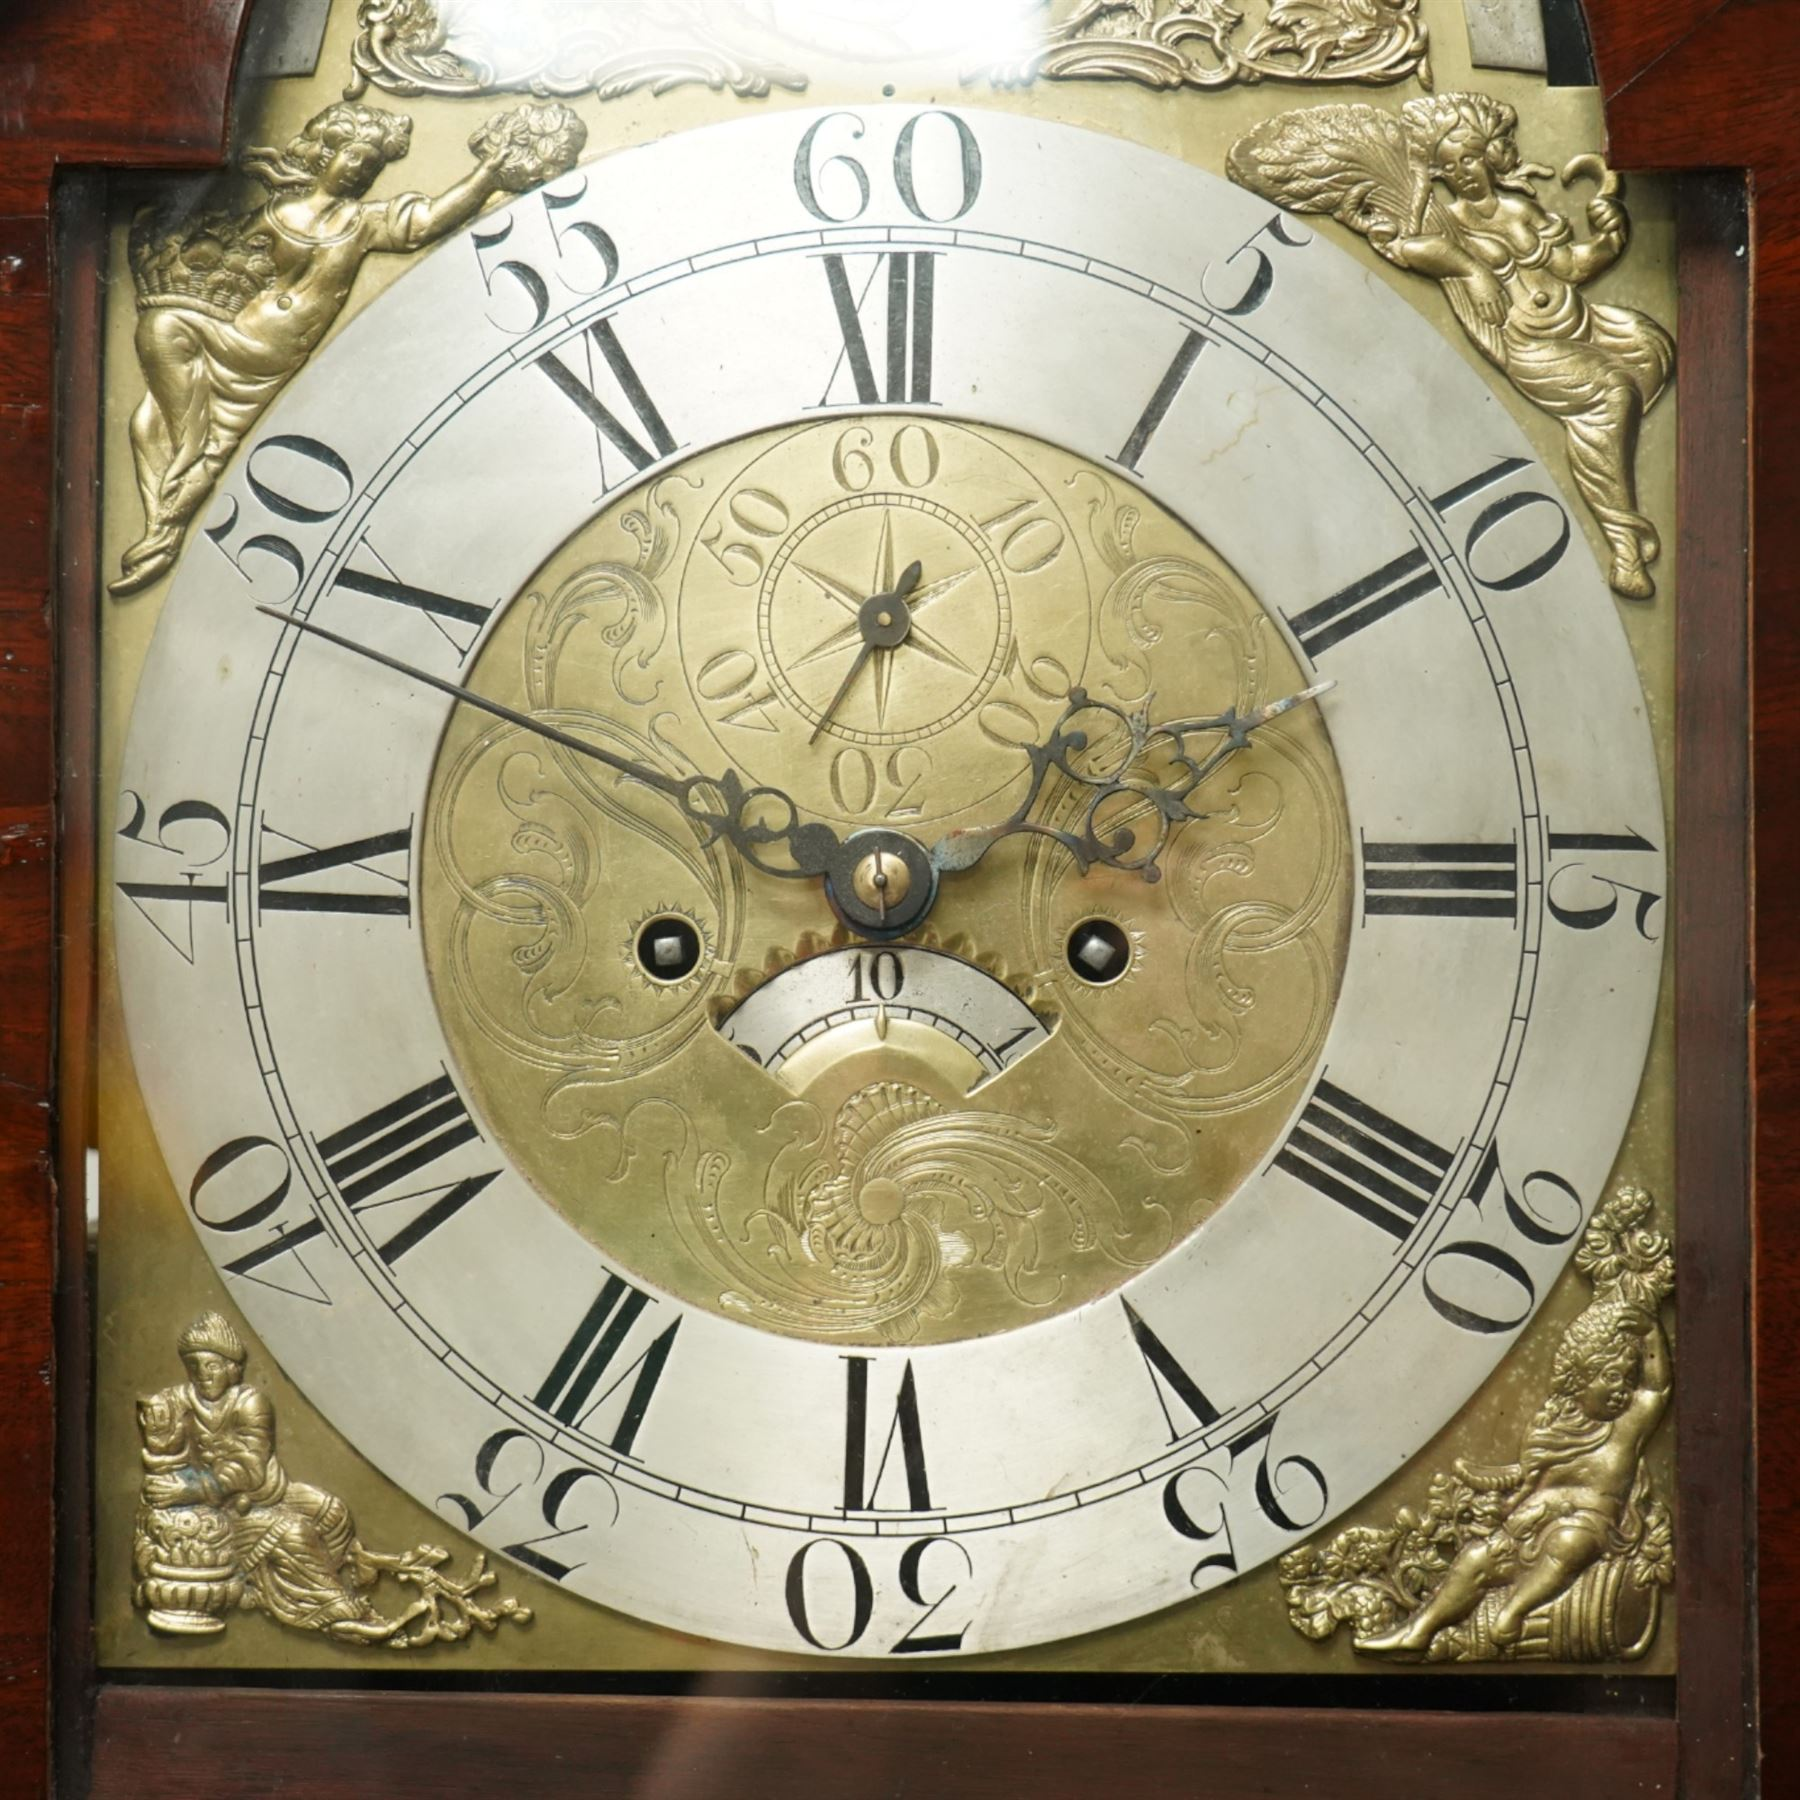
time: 7:49
